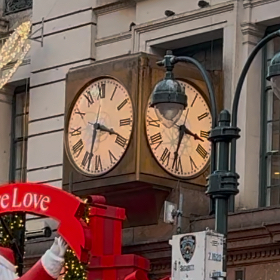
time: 3:33
